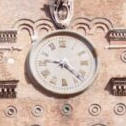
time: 9:22
